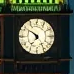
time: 4:50
